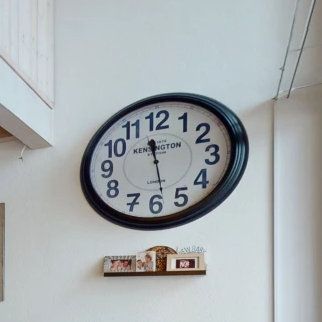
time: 11:28
